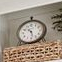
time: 10:28
